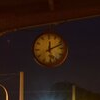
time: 12:11
